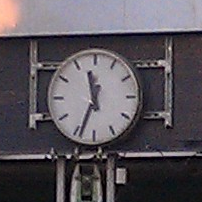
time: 11:33
